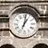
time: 1:02
